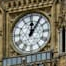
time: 12:06
